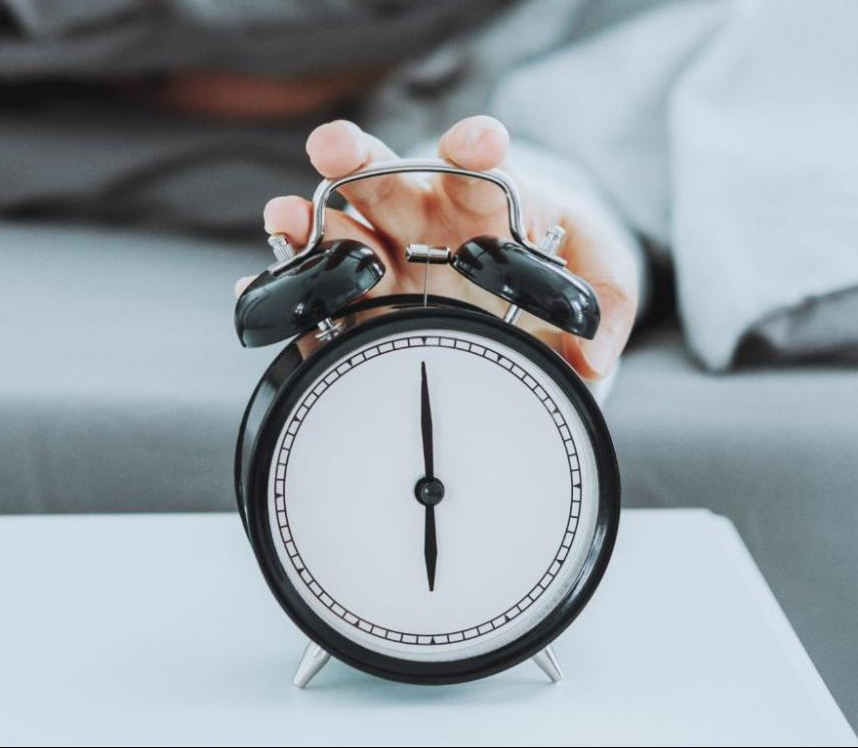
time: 5:59
